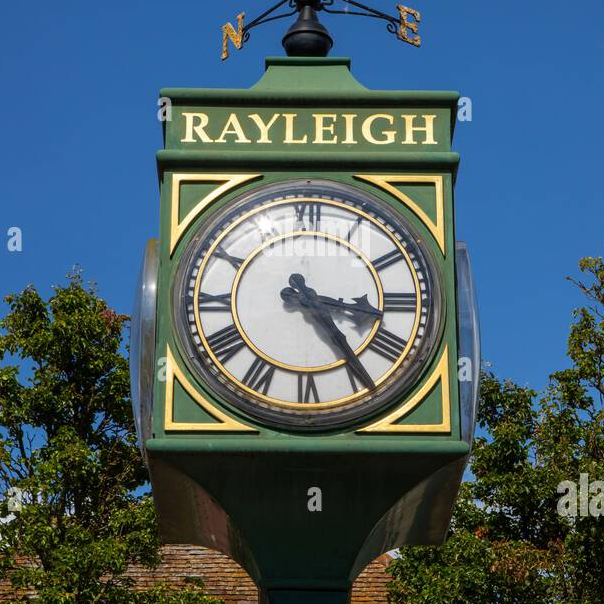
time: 3:24
